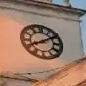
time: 8:09
